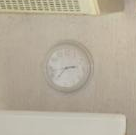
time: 2:36
